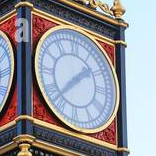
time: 1:37
